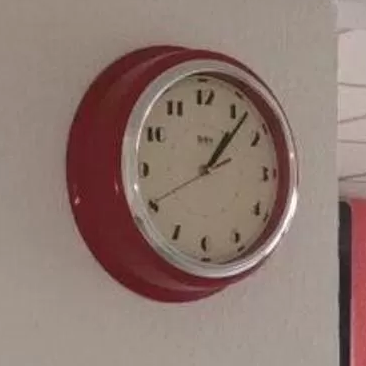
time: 1:06
